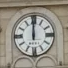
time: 11:59
